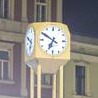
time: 6:50
